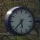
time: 5:36
